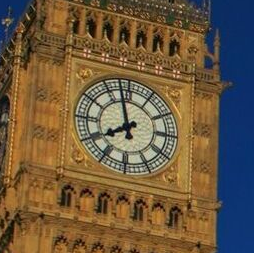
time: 7:57
